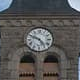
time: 4:49
